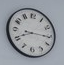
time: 8:15
